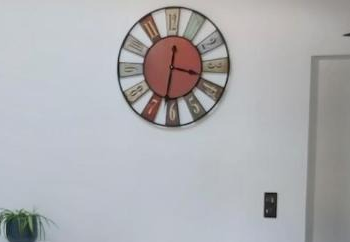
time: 3:32
